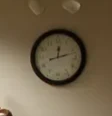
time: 12:12
